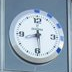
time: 8:29
